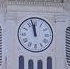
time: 11:57
